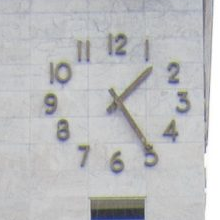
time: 1:24
